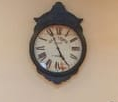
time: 4:56
